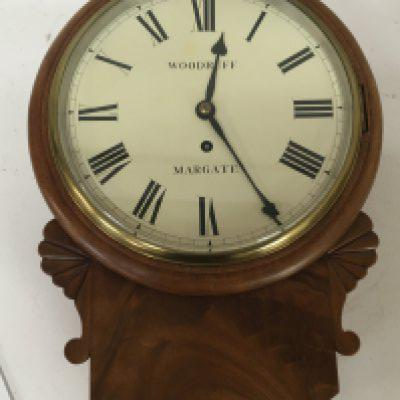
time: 12:24
